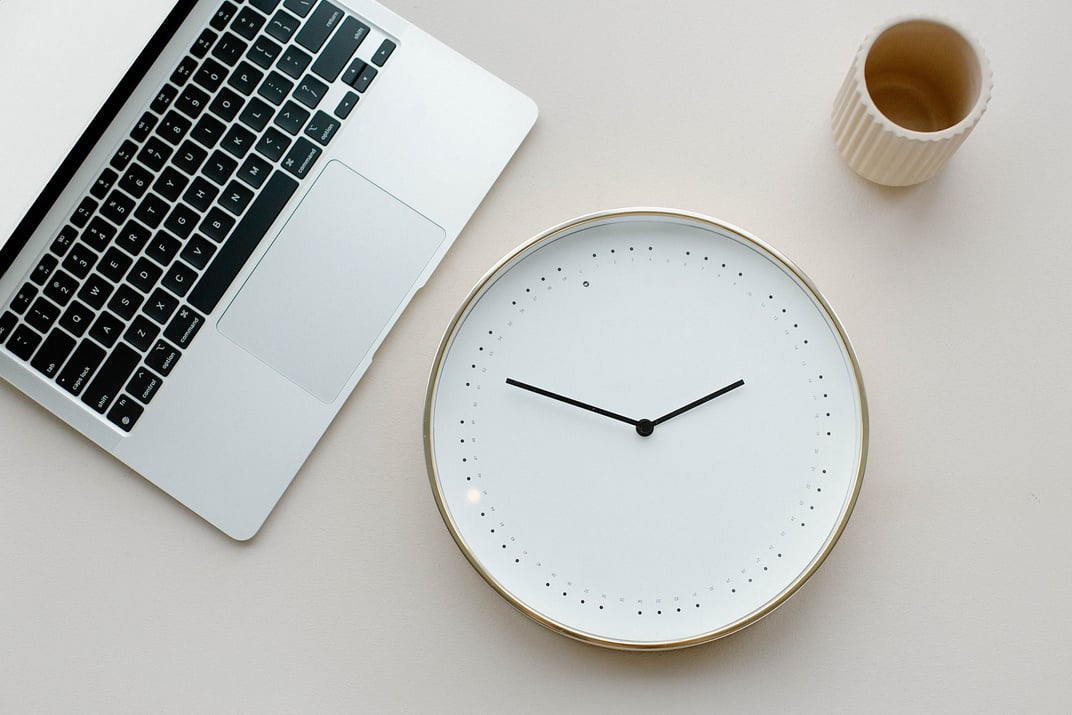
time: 1:47
